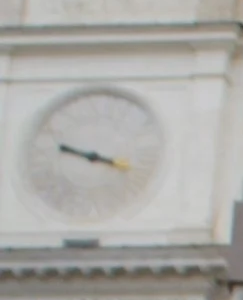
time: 9:17
